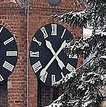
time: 10:36
